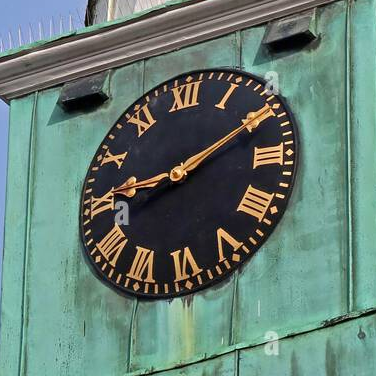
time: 9:10
